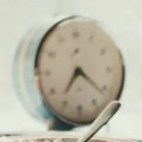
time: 7:21
